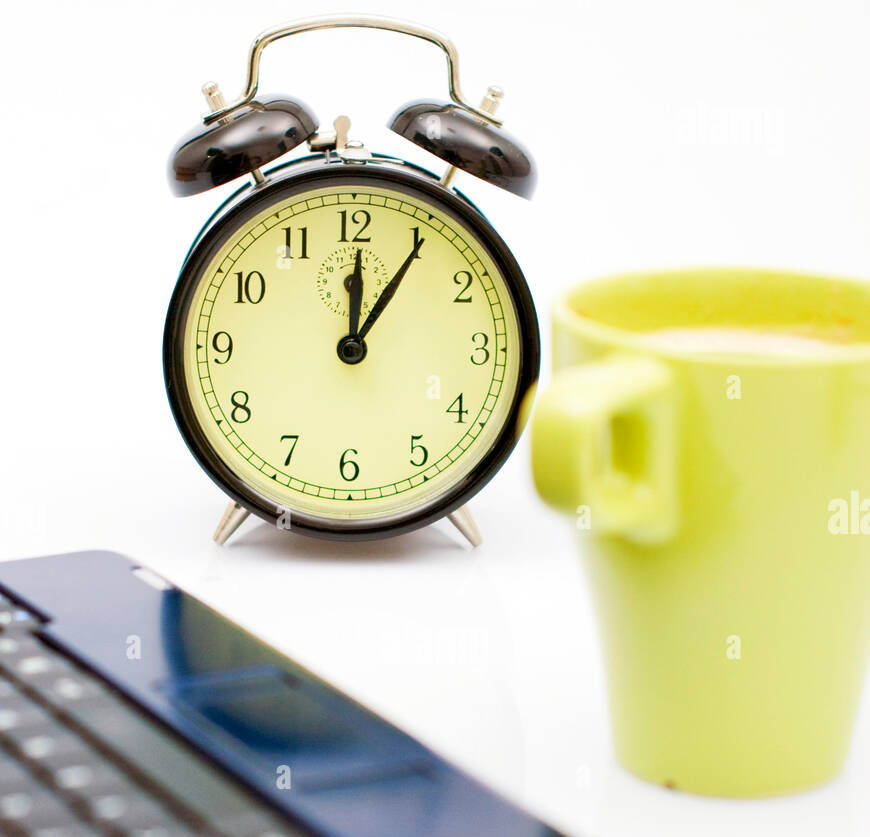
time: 12:05
